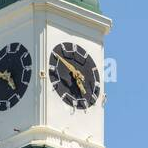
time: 4:50
